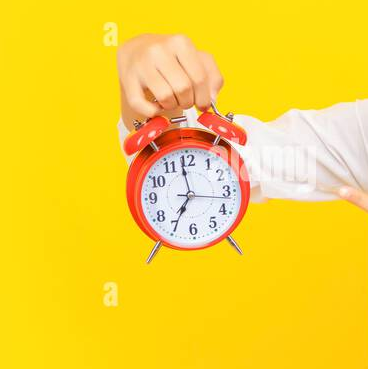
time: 6:58
